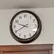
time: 9:40
